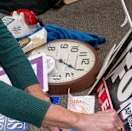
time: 4:20
